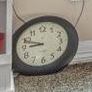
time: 8:48
